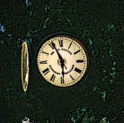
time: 5:55
